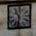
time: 10:32
